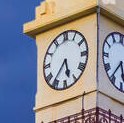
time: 5:36
